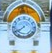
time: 7:39
